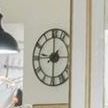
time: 7:59
